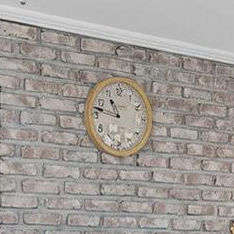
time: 10:47
